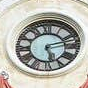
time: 5:12
